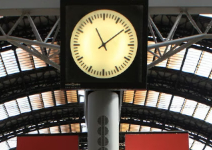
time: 11:08
